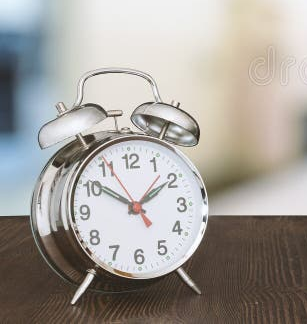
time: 1:50
